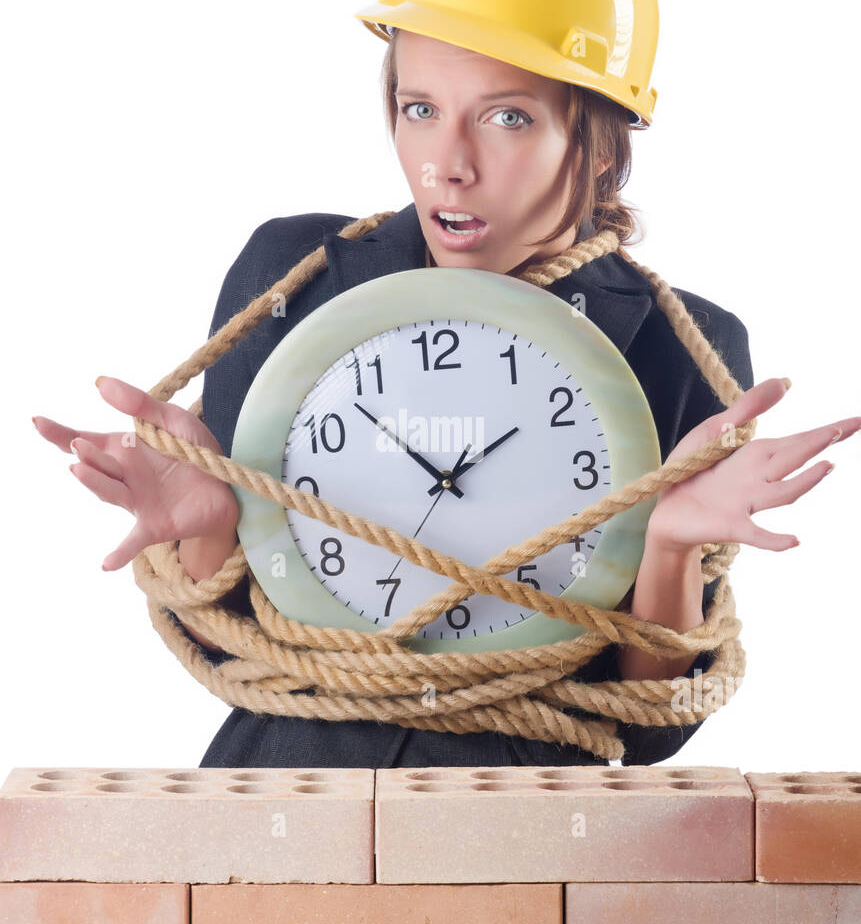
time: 1:53
